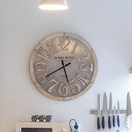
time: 5:40
